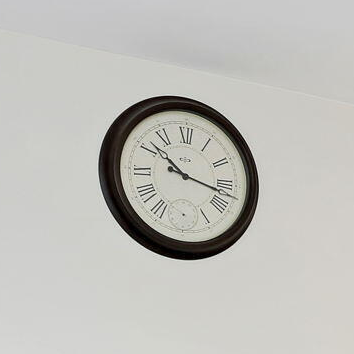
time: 10:16
